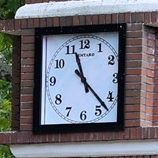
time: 11:22
